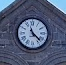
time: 11:22
